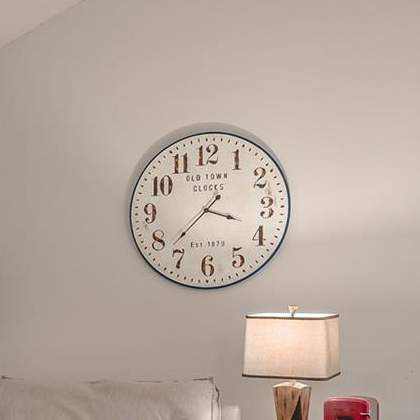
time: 3:37
